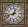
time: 12:42
